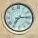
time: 7:14
